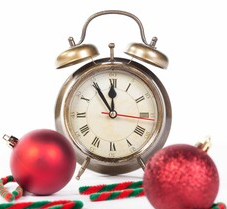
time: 11:54
